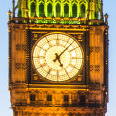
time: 5:07
